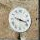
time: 3:17
